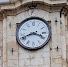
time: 3:41
